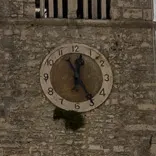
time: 12:24
